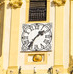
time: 1:36
